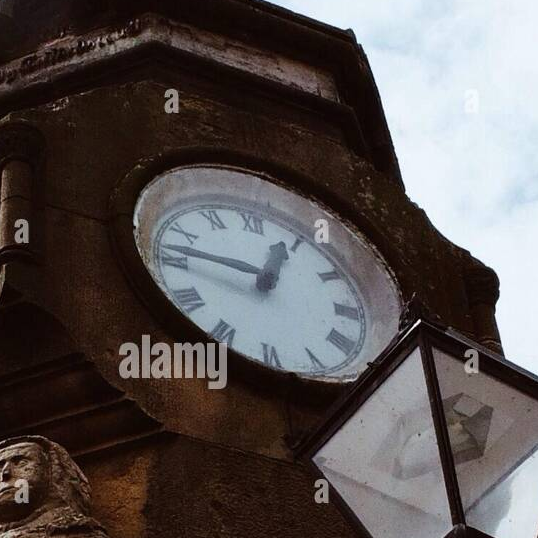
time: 12:46
